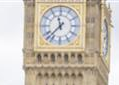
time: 11:37
